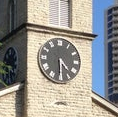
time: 4:29
